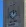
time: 12:07
